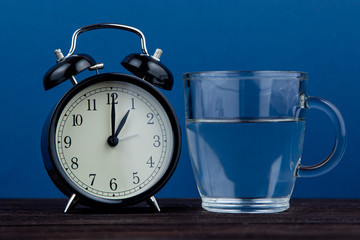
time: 1:00
